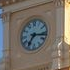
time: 7:16
